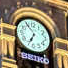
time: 6:54
